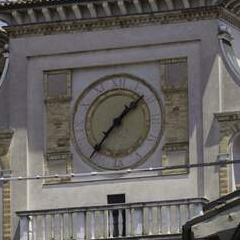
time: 1:36
